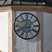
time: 3:40
